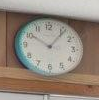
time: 10:06
